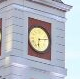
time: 6:13
